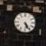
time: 5:24
